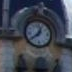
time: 12:38
